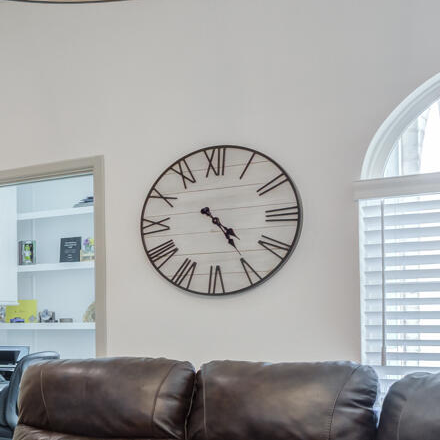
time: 4:24
